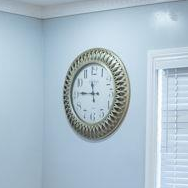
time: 11:45
